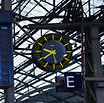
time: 9:28
